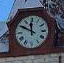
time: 11:49
